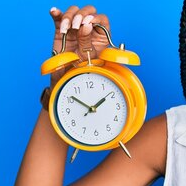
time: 1:51
